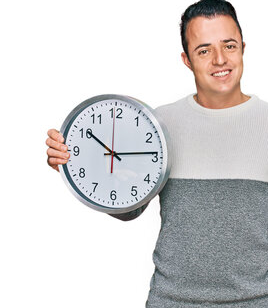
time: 10:13
